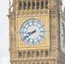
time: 8:39
